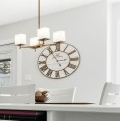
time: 2:54
